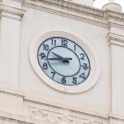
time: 9:43
